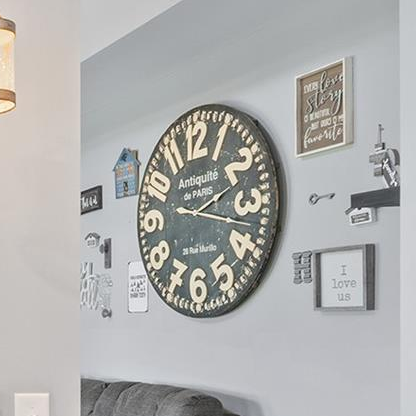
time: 2:17
